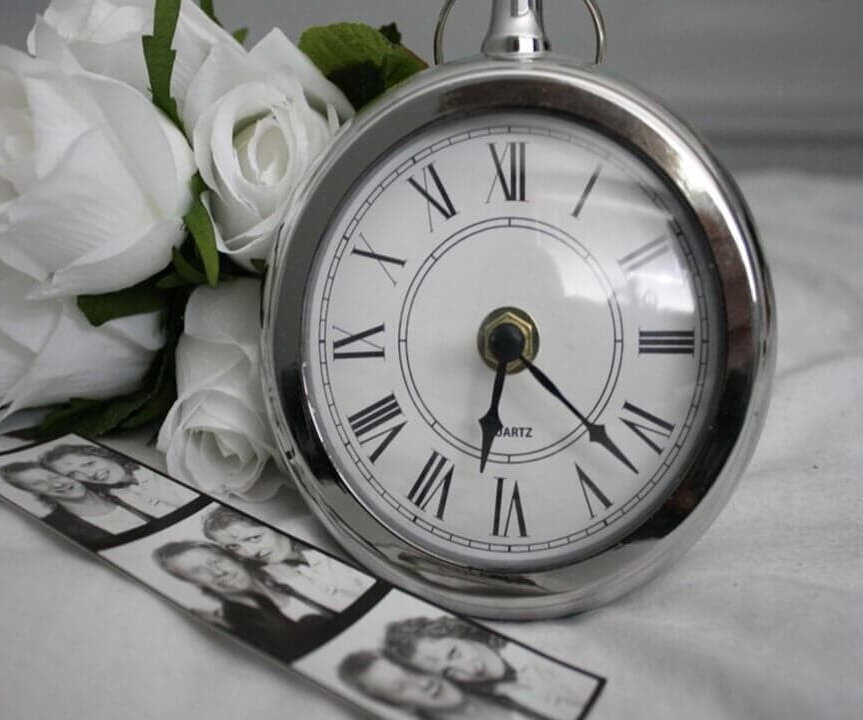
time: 6:22
